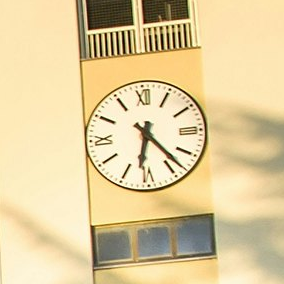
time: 6:23
